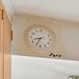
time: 8:34
